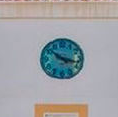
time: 10:17
